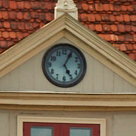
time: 5:04
